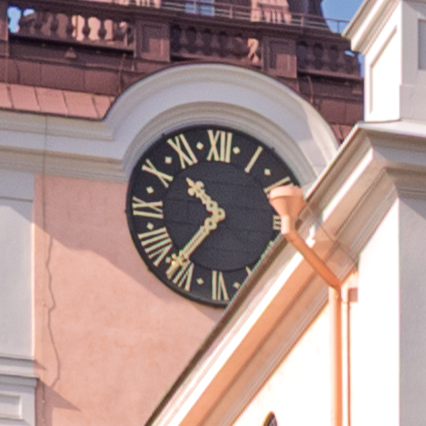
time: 10:36
